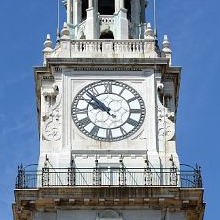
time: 9:52
